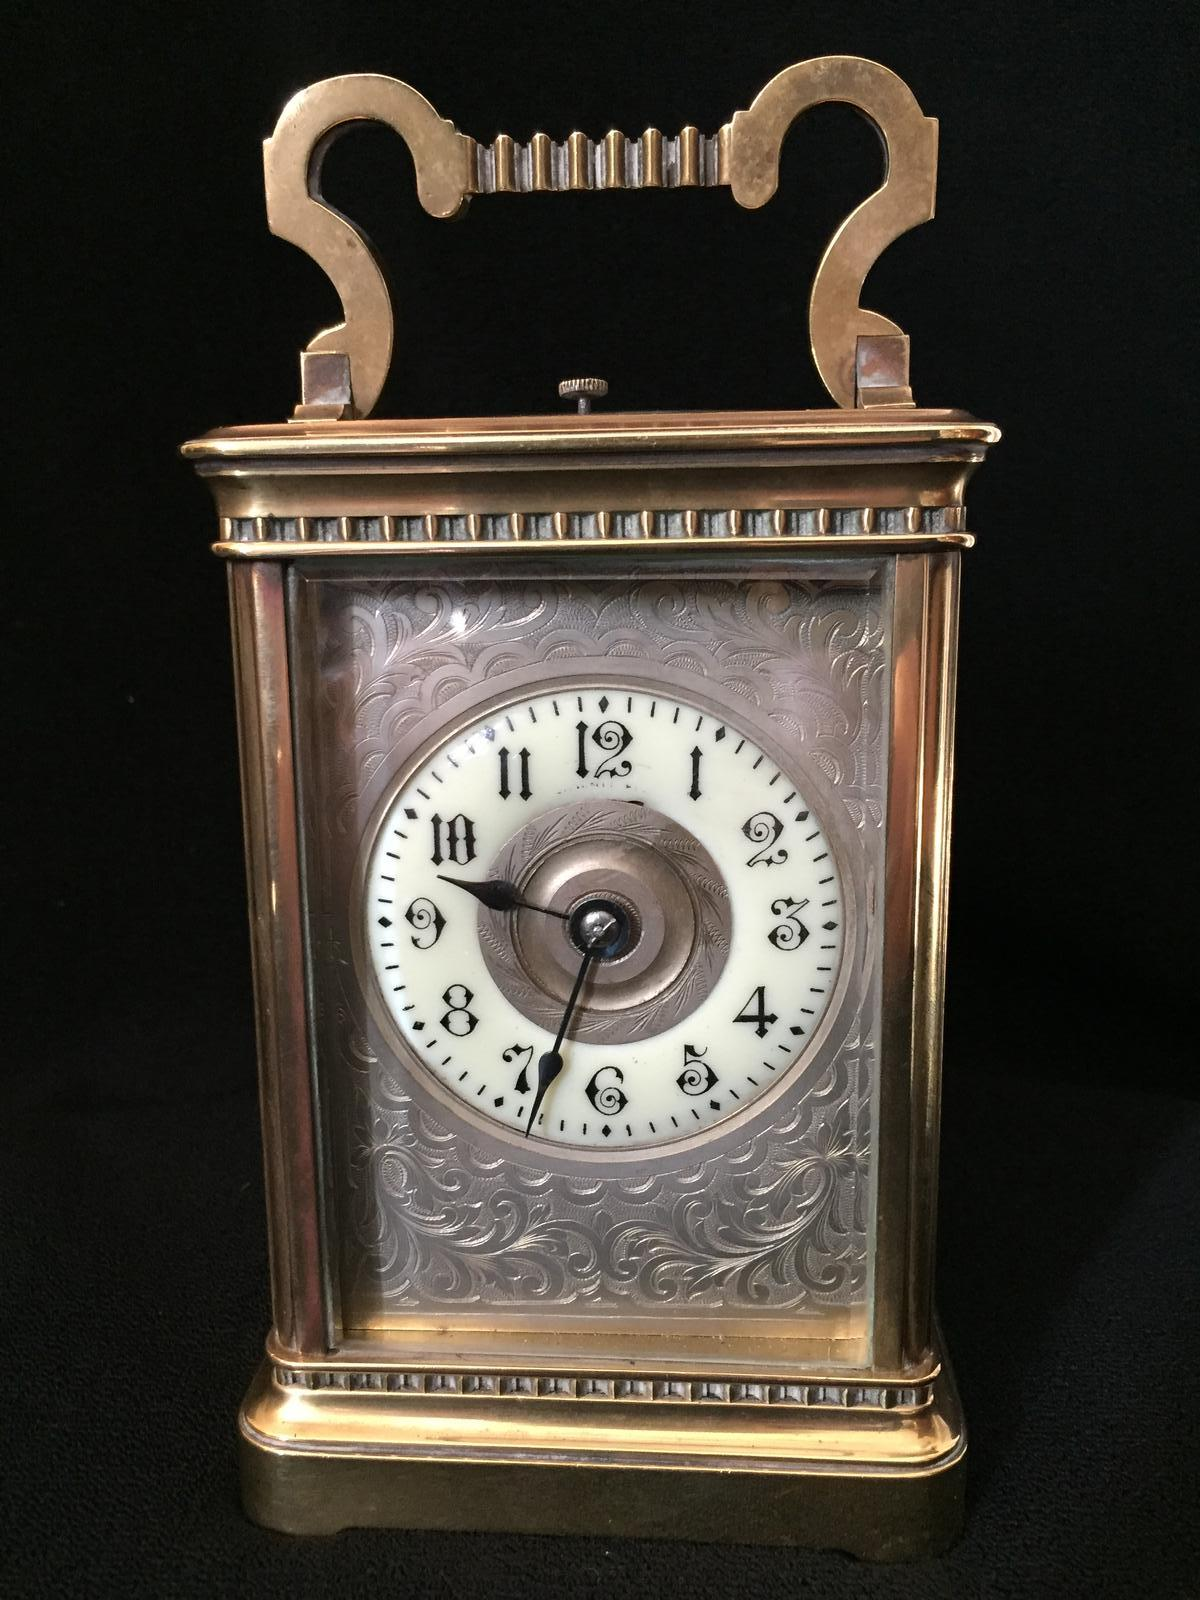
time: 9:34
